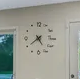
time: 4:39
